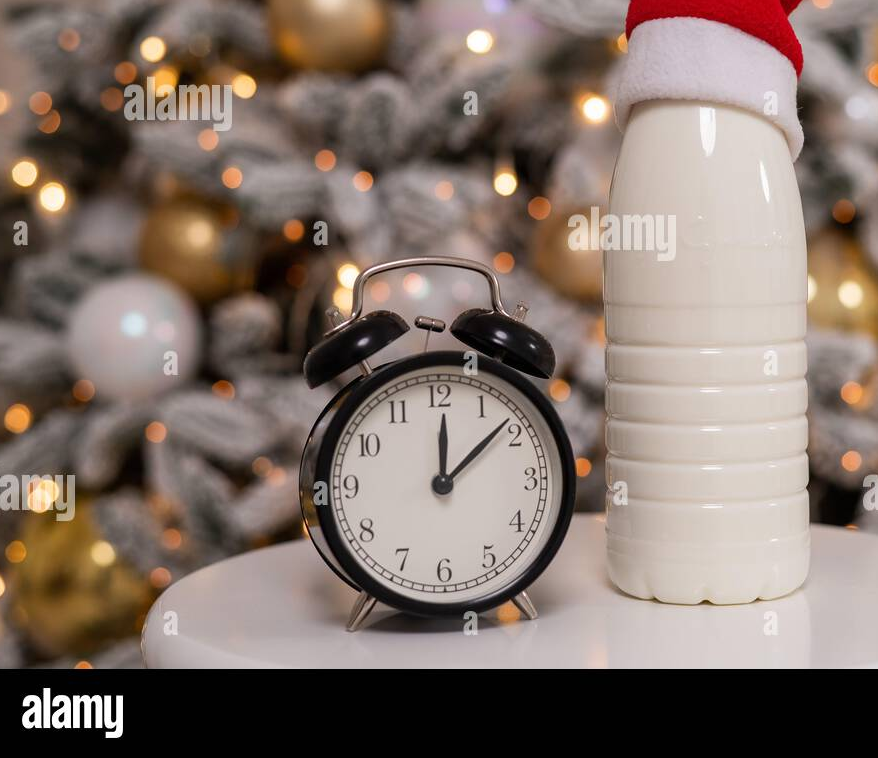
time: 12:08
